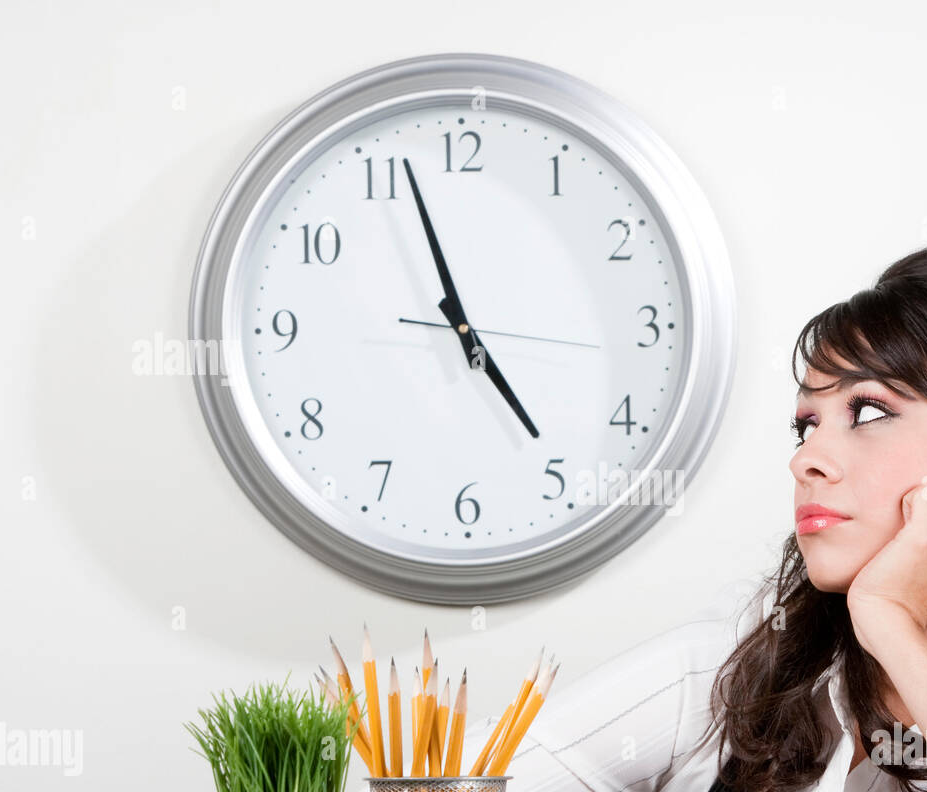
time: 4:56
